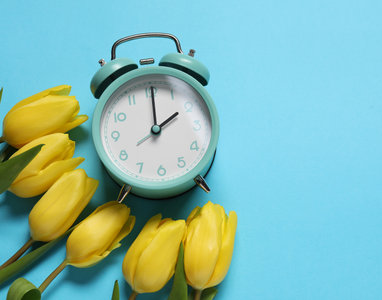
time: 2:00
